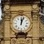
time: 12:03
